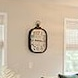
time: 9:15
